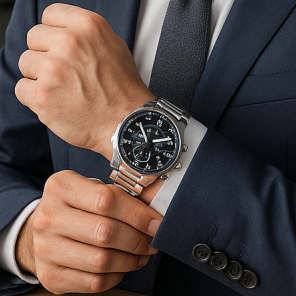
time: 11:13
